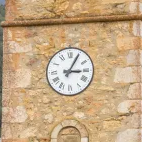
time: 3:04
